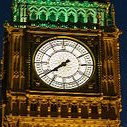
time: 7:39
